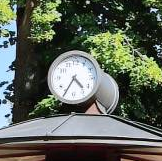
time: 4:35
